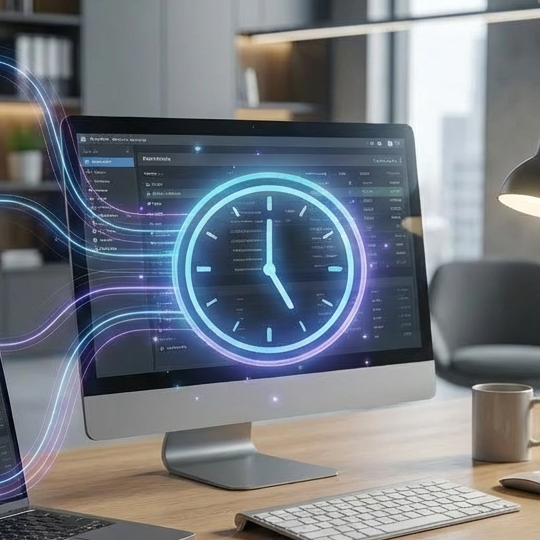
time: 5:00
